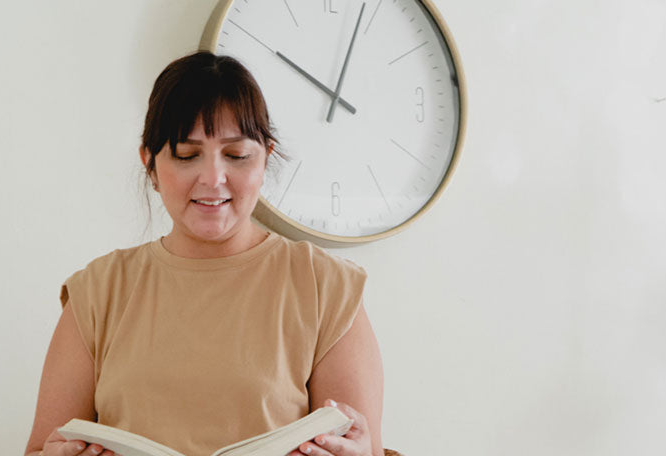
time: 10:03
